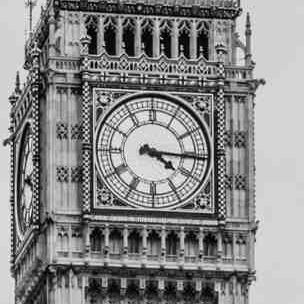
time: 4:15
